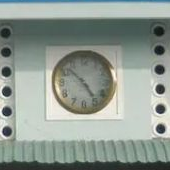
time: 4:52
